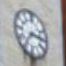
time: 7:15
